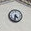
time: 4:32
